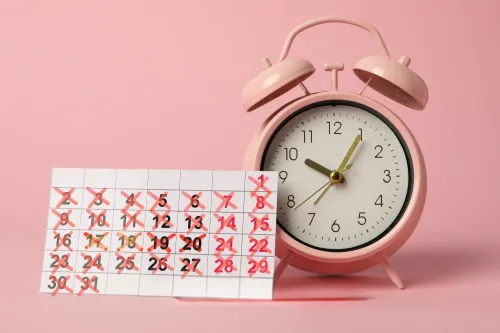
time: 10:05
